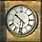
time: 10:30
